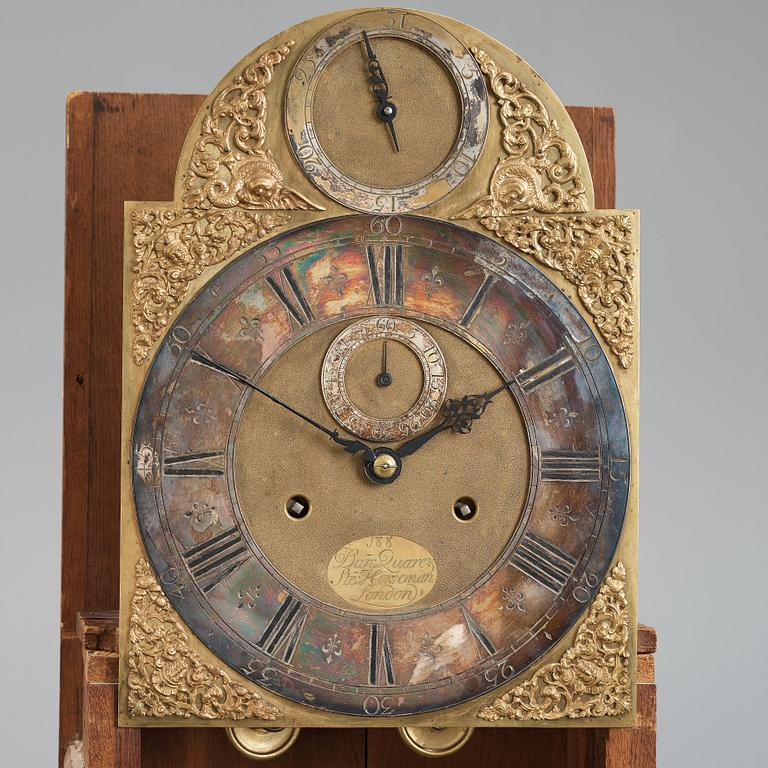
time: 1:50
